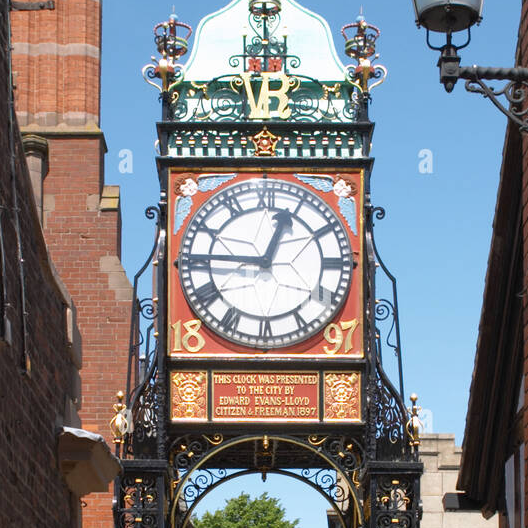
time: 12:45
